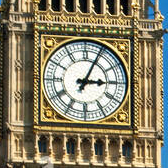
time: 3:04
